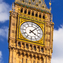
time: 4:07
